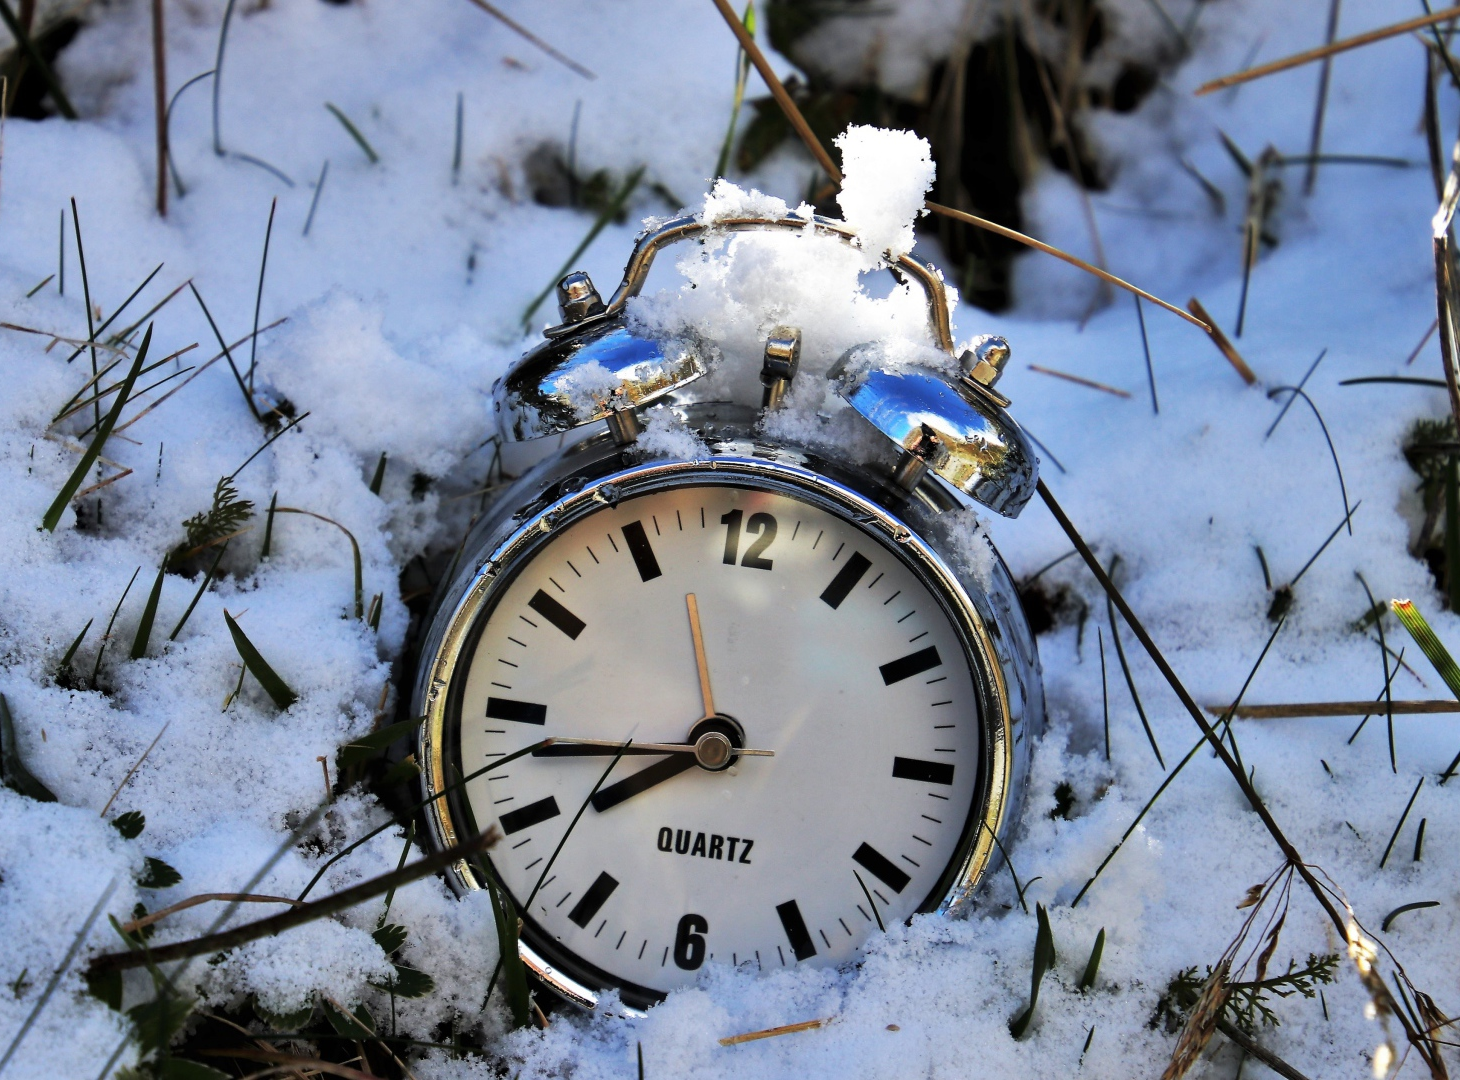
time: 7:43
